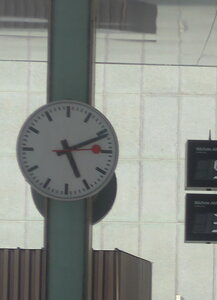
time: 5:11
